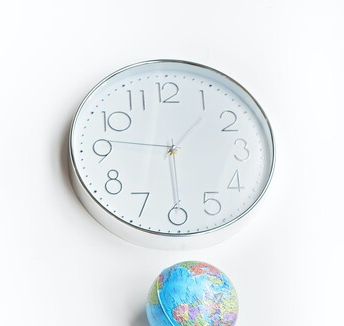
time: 1:29
